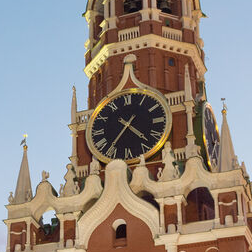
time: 4:36
